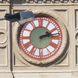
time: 2:13
